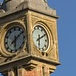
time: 6:10
